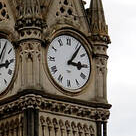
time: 3:06
